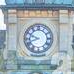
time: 9:41
